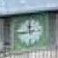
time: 11:44
